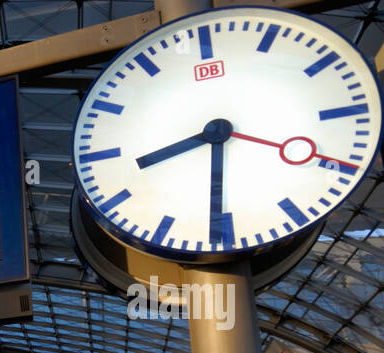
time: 8:31
